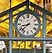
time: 8:37
